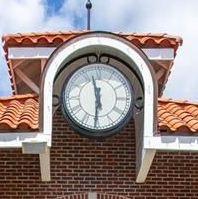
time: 11:30
